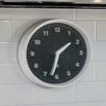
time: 1:32
